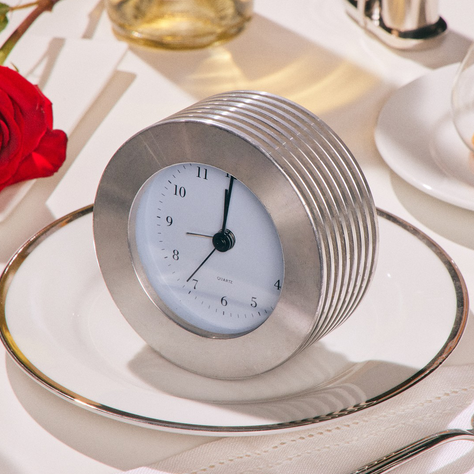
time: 7:03
